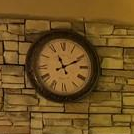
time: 11:11
